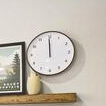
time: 11:59
